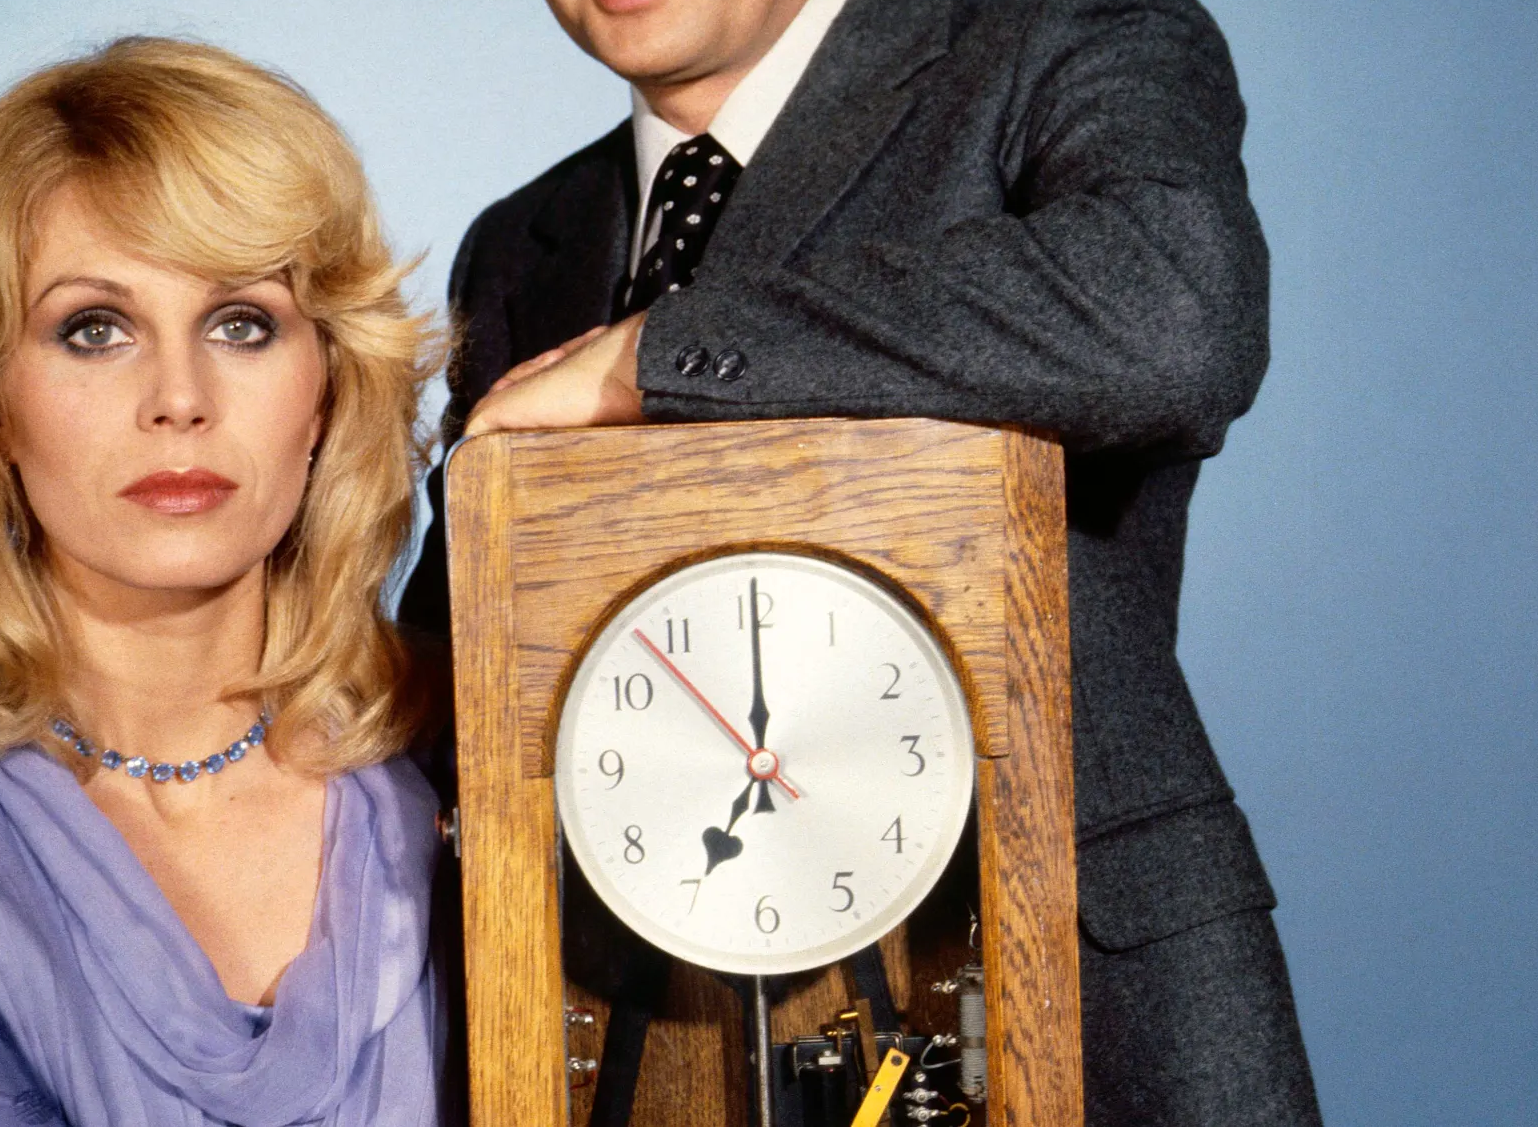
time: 7:00
